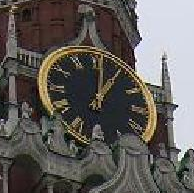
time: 1:01
